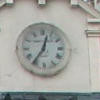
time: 12:36
